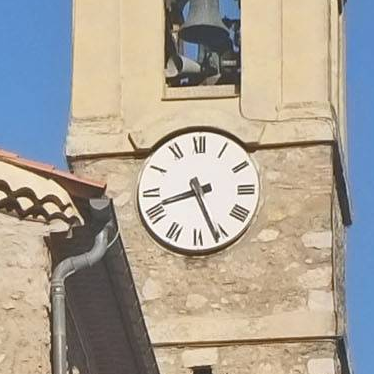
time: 8:26
